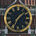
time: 1:34
